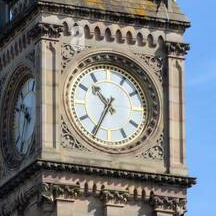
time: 10:34
